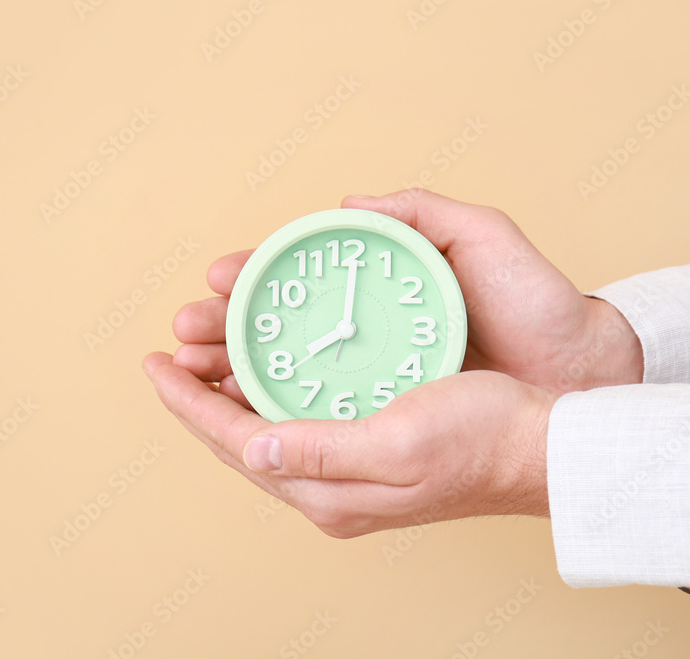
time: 8:01
